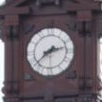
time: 2:38
